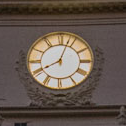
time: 8:03
